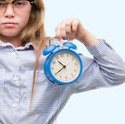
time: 10:40
